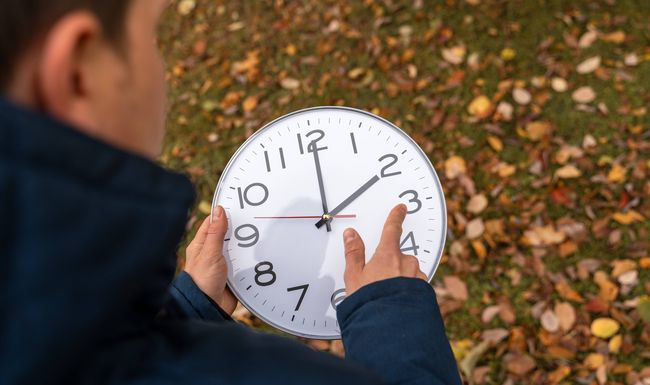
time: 2:00
